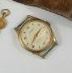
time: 12:32
